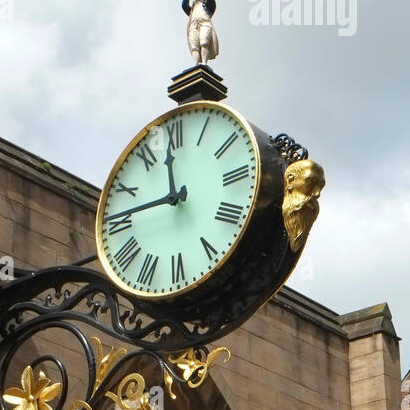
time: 11:46
